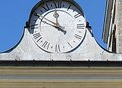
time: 11:49
